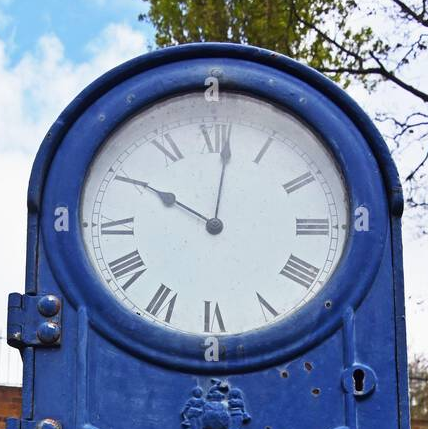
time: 10:01
